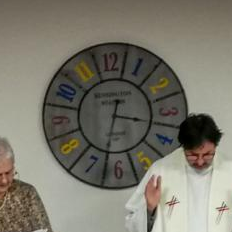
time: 3:32
